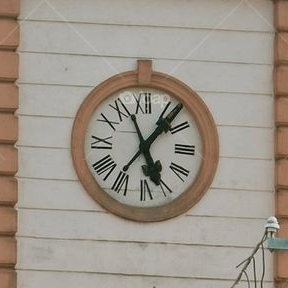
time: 5:06
